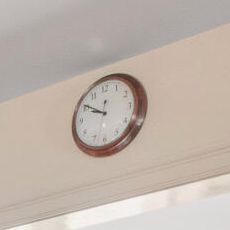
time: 9:50
